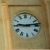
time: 9:13
